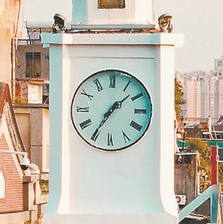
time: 1:35
